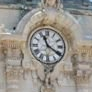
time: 11:20
